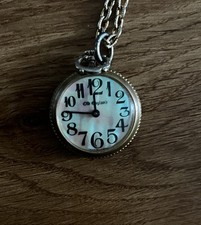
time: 11:46
